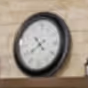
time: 4:38
